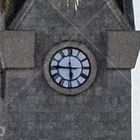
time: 5:45
